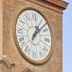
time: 1:07
